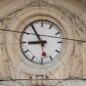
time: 8:54
